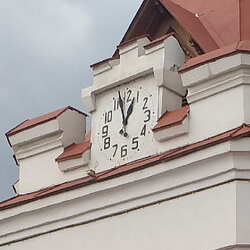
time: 12:57
